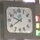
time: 9:39
